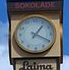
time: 1:19
